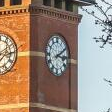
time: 3:10
